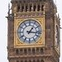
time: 1:16
